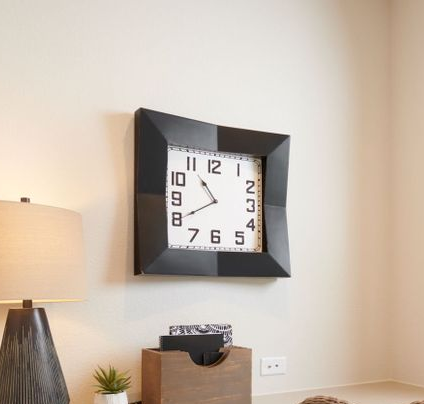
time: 10:40
